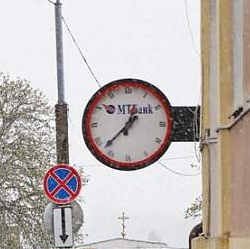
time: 12:37
